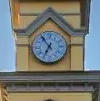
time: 6:54
